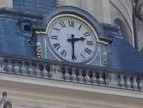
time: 2:30
